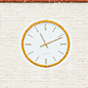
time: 11:11
